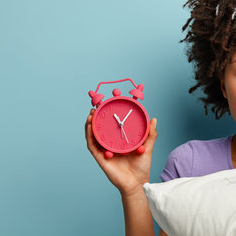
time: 11:07
